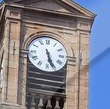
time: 5:26
